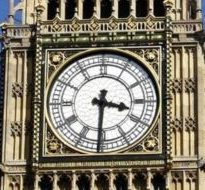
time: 3:30
